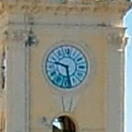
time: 9:28
